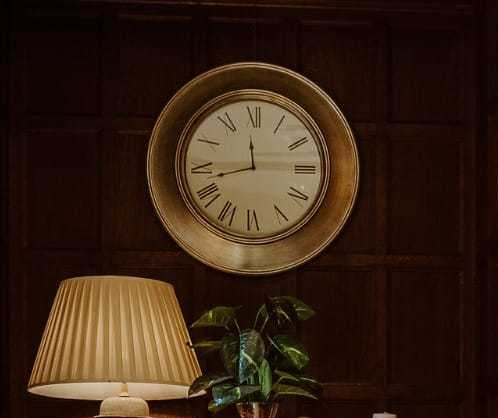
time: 11:42
